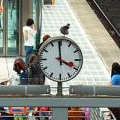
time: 3:58
